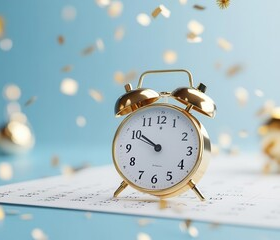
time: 9:50
